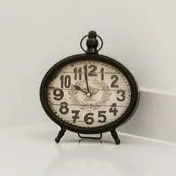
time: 9:58
